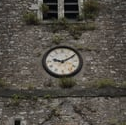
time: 9:10
